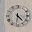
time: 4:31
